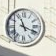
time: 11:18
